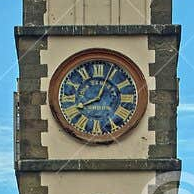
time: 8:04
